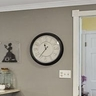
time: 11:36
